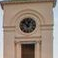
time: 12:52
